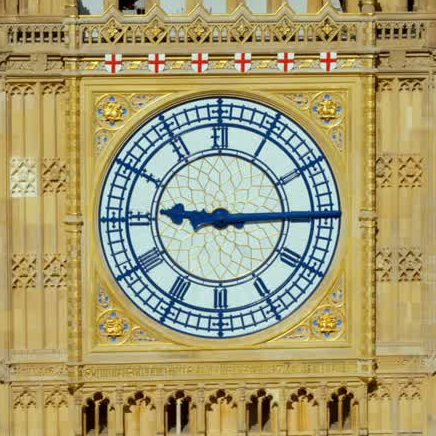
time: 9:14
